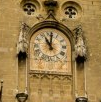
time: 11:01
